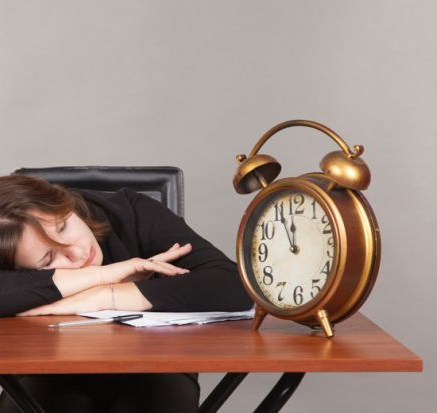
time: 11:55
